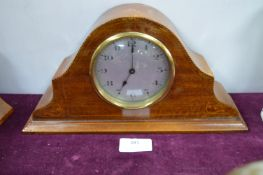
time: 7:01
